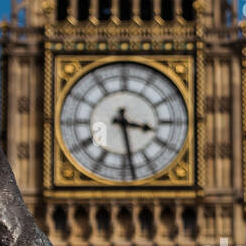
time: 3:28
